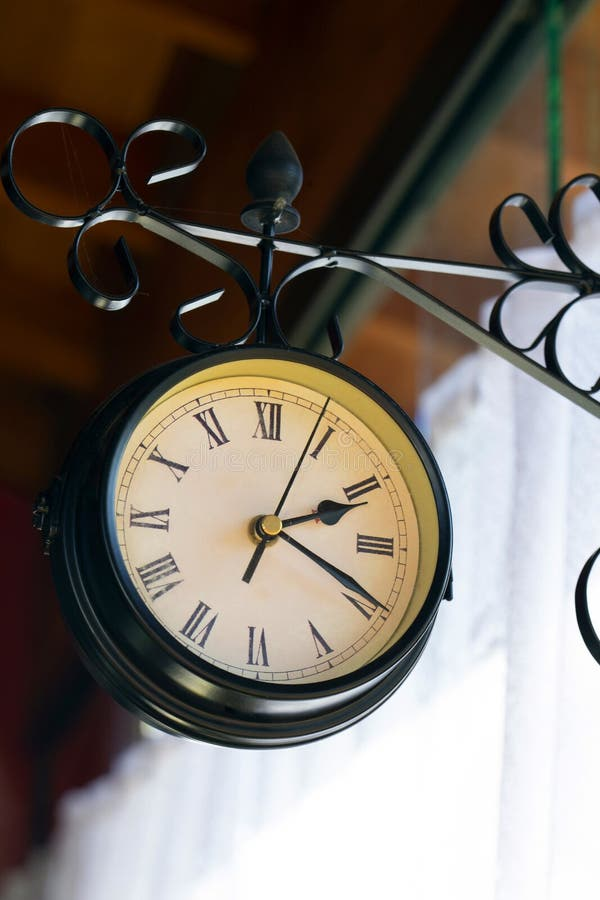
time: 2:19
